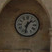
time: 1:32
